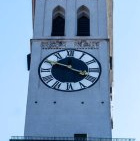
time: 3:48
